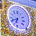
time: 6:41
